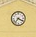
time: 7:20
